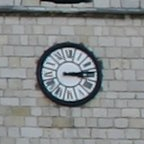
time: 3:13
